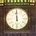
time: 5:59
